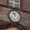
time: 11:56
